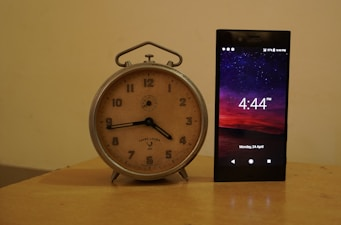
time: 4:43
